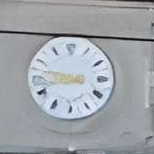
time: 8:47
